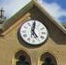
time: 5:01
